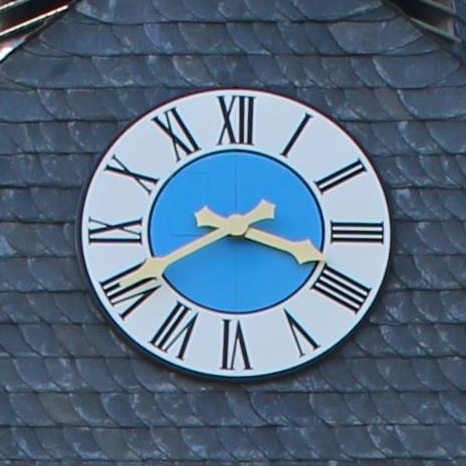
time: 3:40
